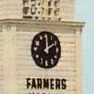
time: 2:00
